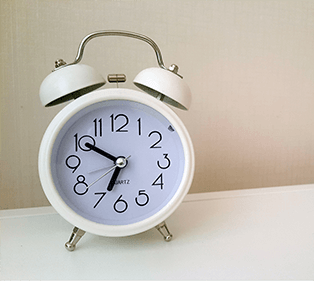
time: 6:50
